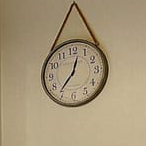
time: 12:36
